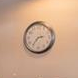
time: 2:36
